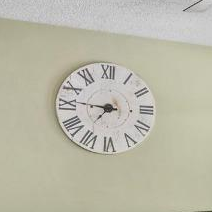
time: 7:46
